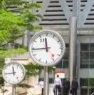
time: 11:44
